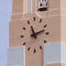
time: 11:12
